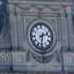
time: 2:31
